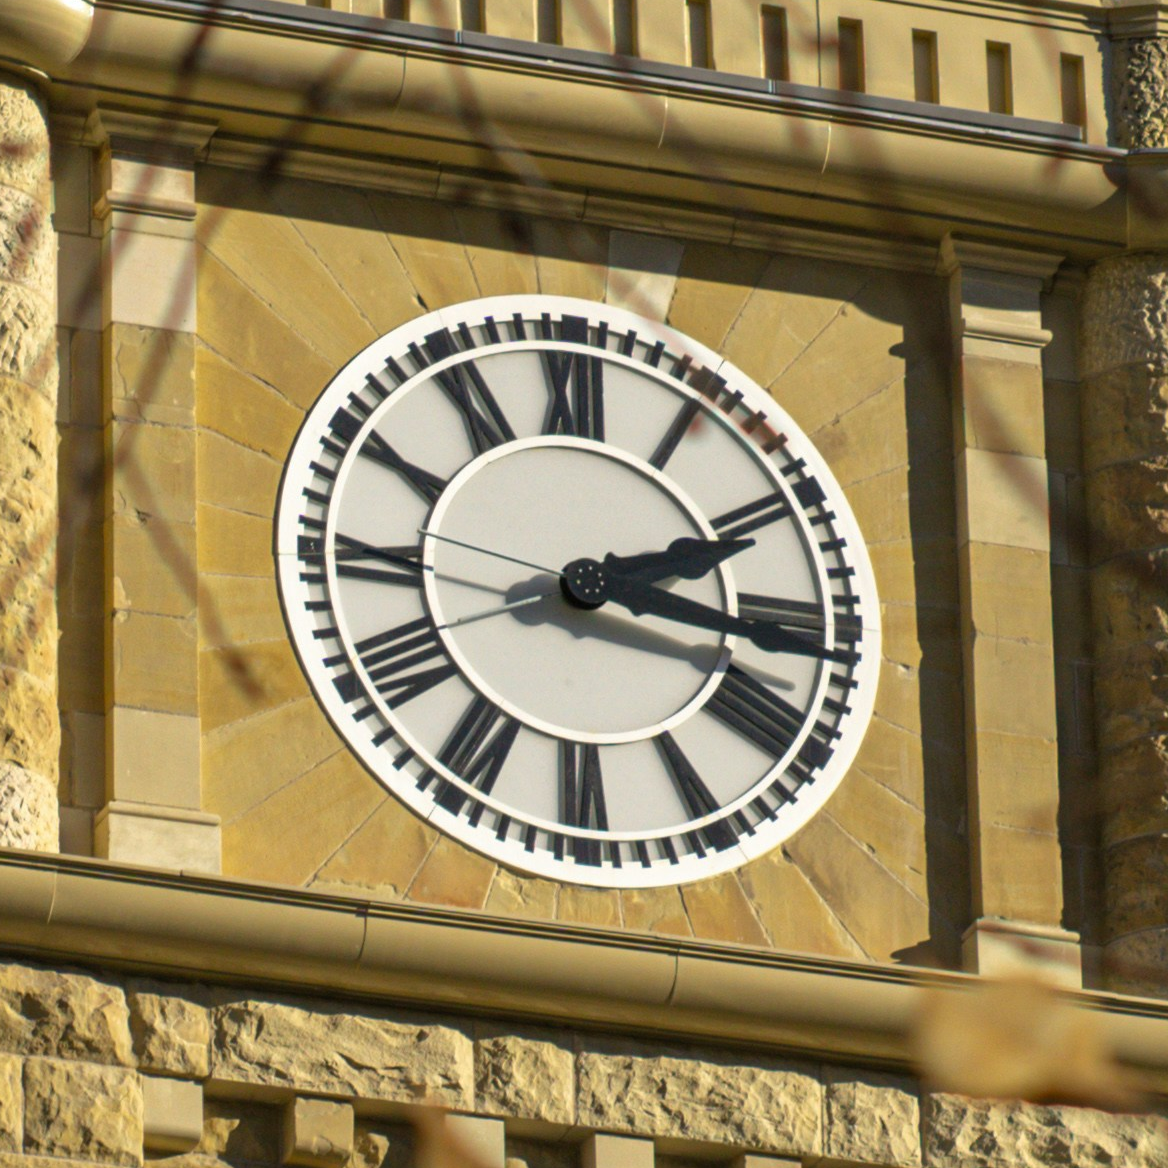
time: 2:16
